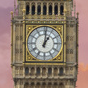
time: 1:01
